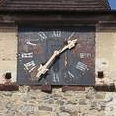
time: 1:36
